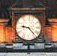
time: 9:23
